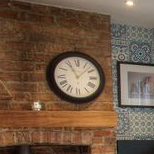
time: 11:07
